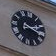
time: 2:18
